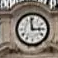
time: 2:58
